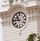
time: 10:45
